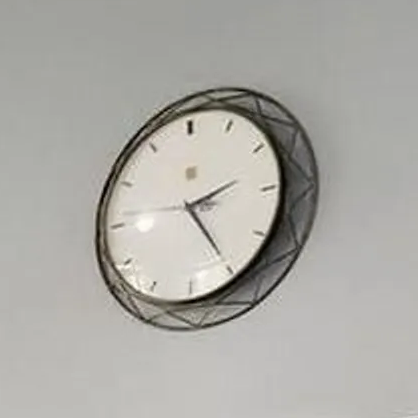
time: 2:24
